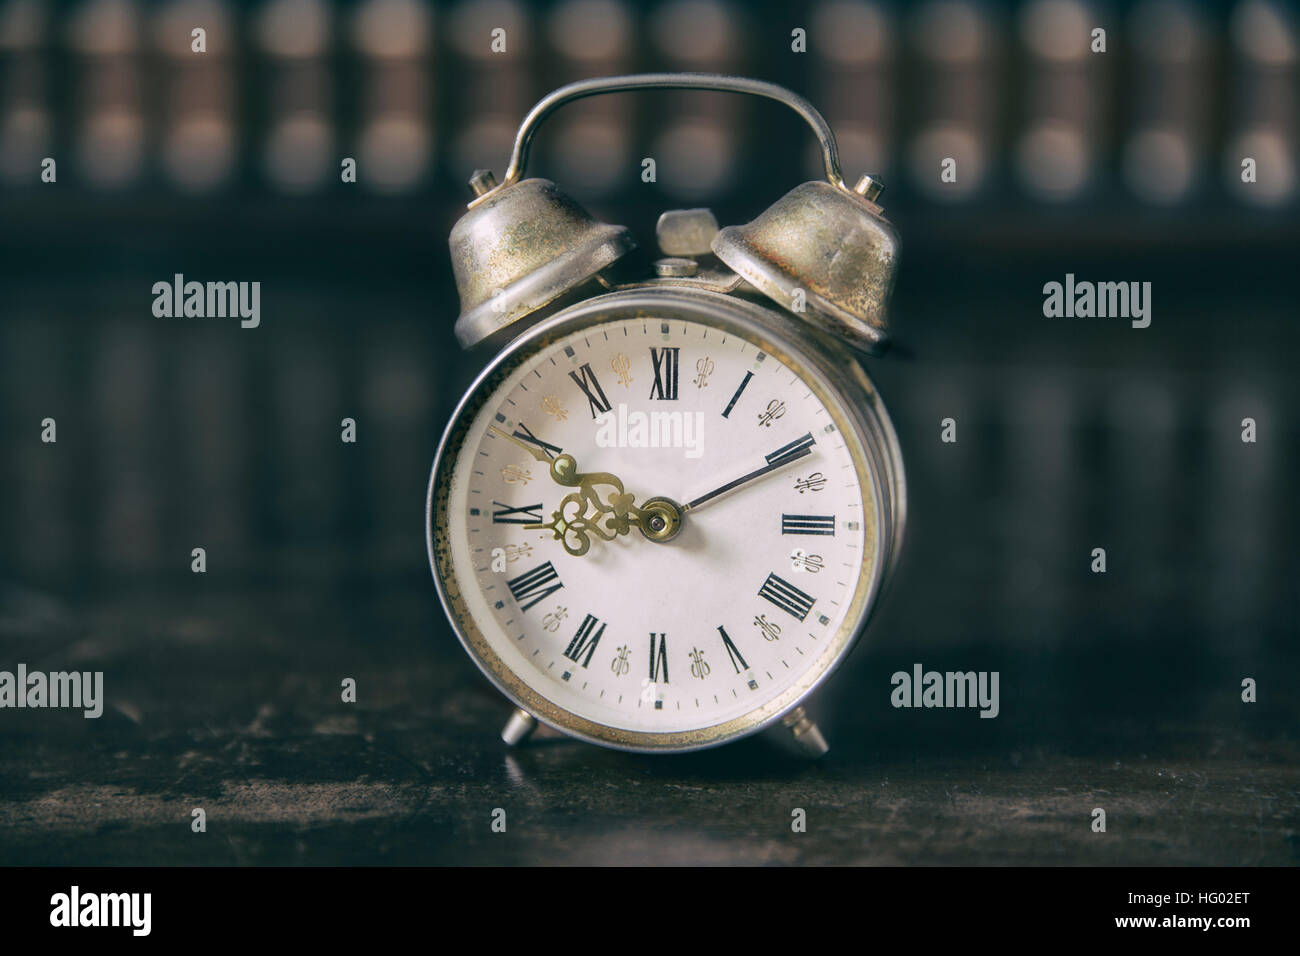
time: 9:10
